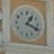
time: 1:18
